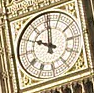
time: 10:00
